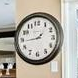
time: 1:43
